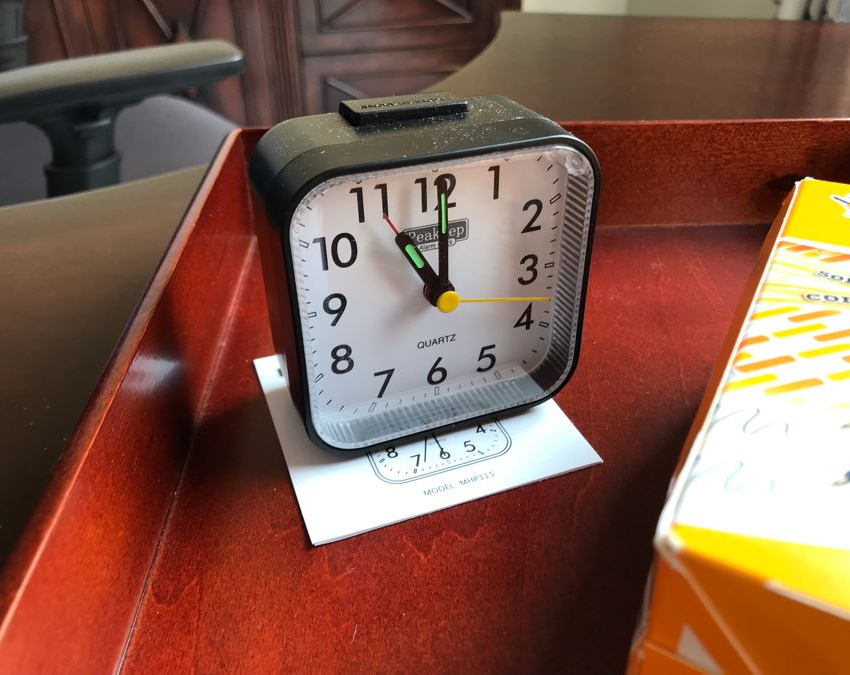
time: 11:00
